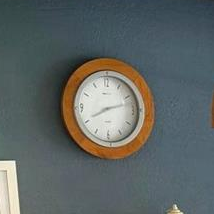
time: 8:12
